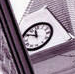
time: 11:49
